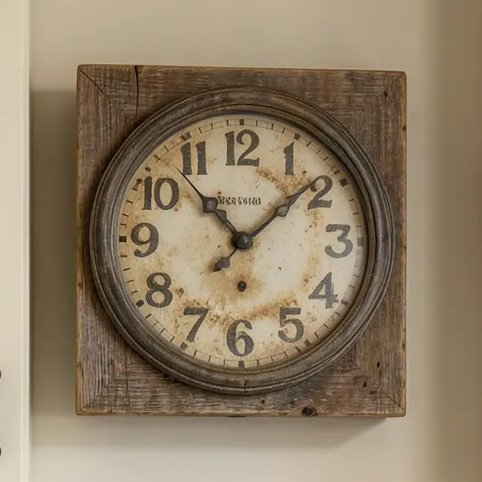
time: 11:08
